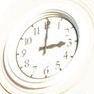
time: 3:00
